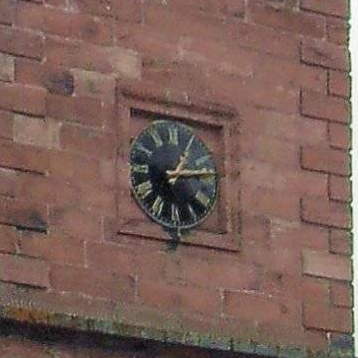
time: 1:13
